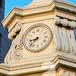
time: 8:37
